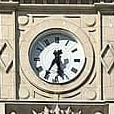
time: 5:35
